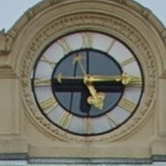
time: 5:14
